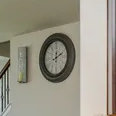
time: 12:11
